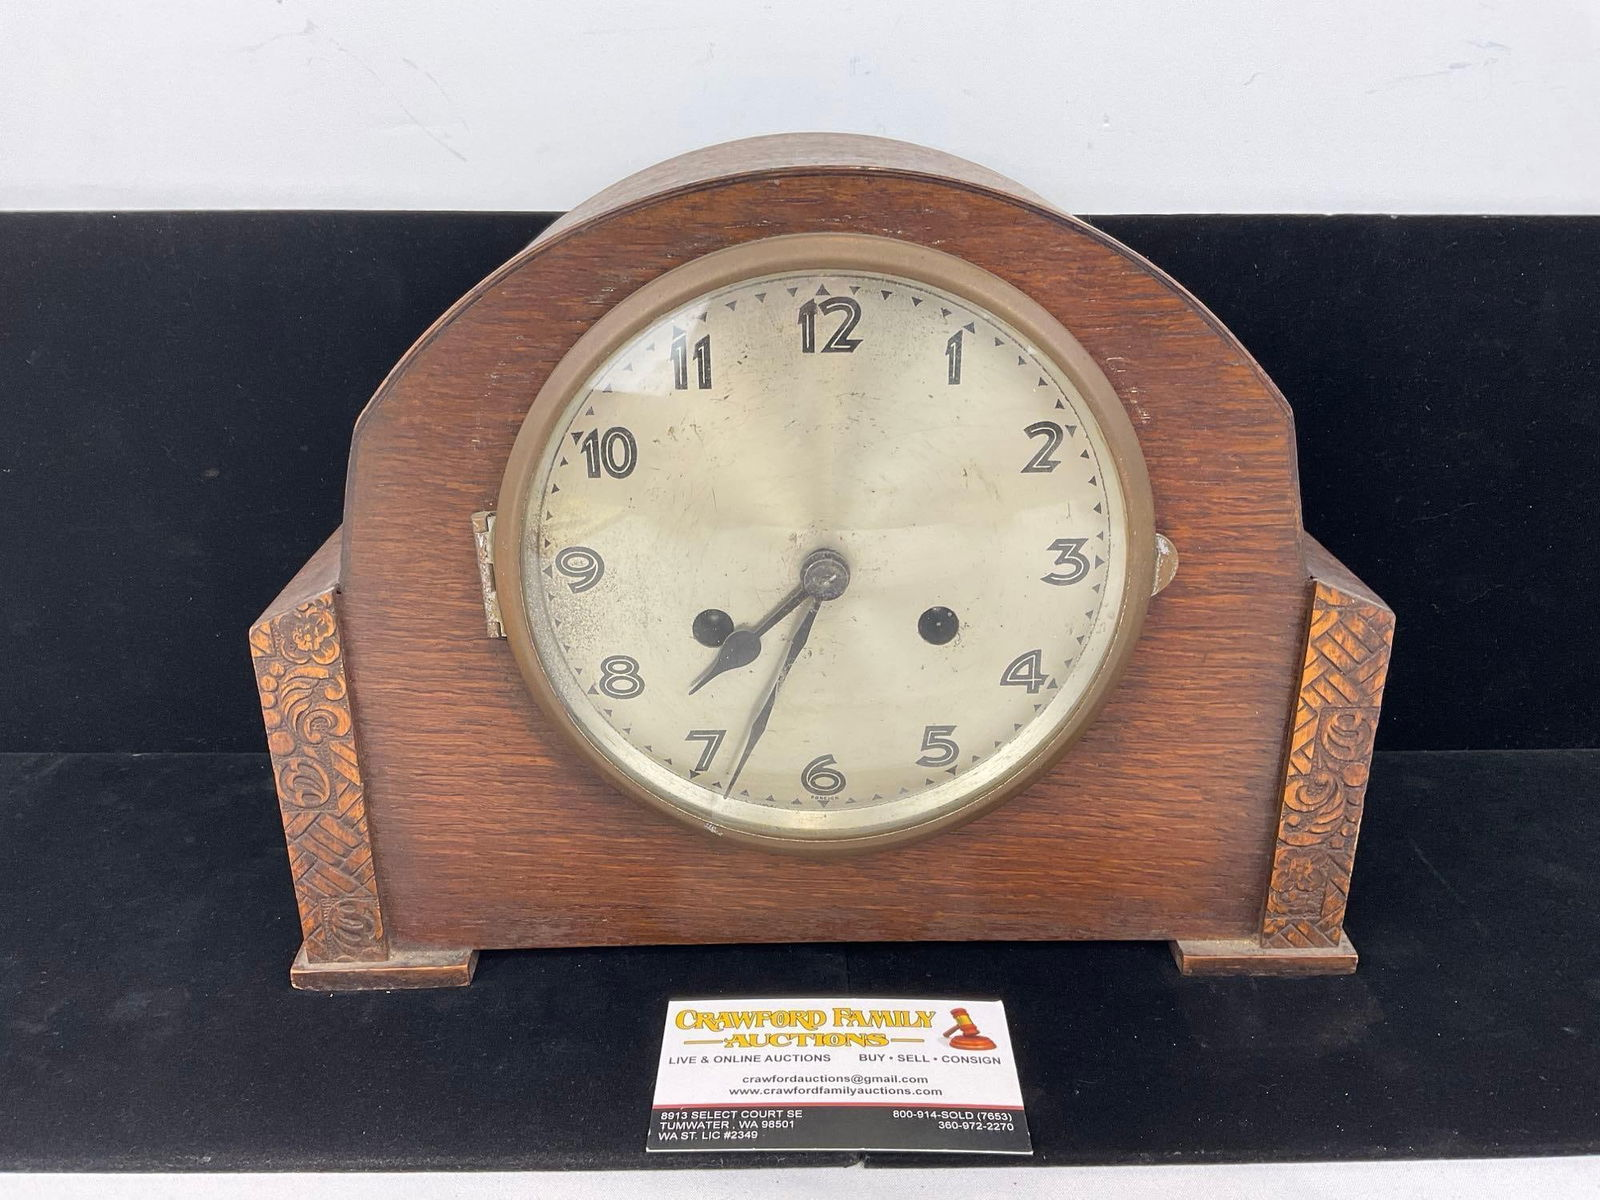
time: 7:33
